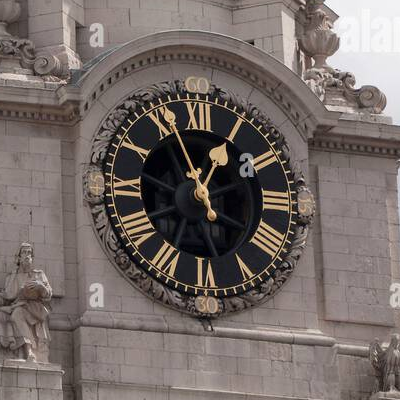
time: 12:56
